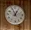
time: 12:55
